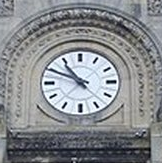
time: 10:49
